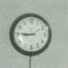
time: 8:45
